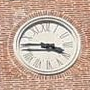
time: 3:45
